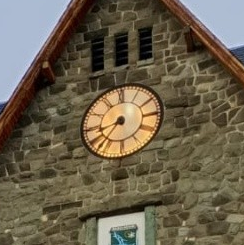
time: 8:36
